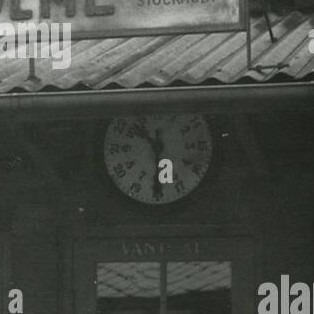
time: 10:30
